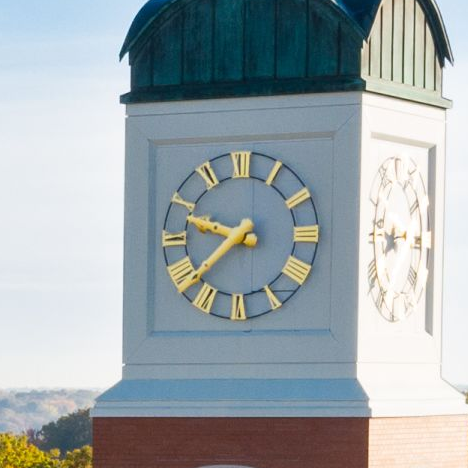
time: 9:38
